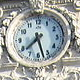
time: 7:27
